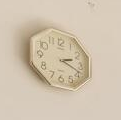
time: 2:18
